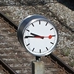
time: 9:45
